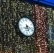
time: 5:18
